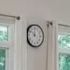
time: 11:51
